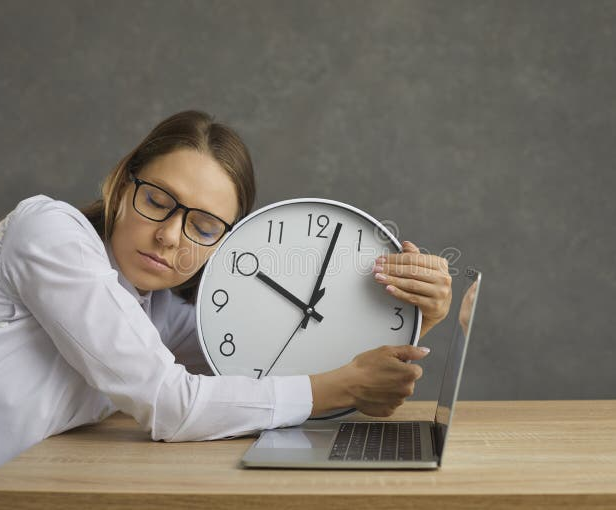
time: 10:02
